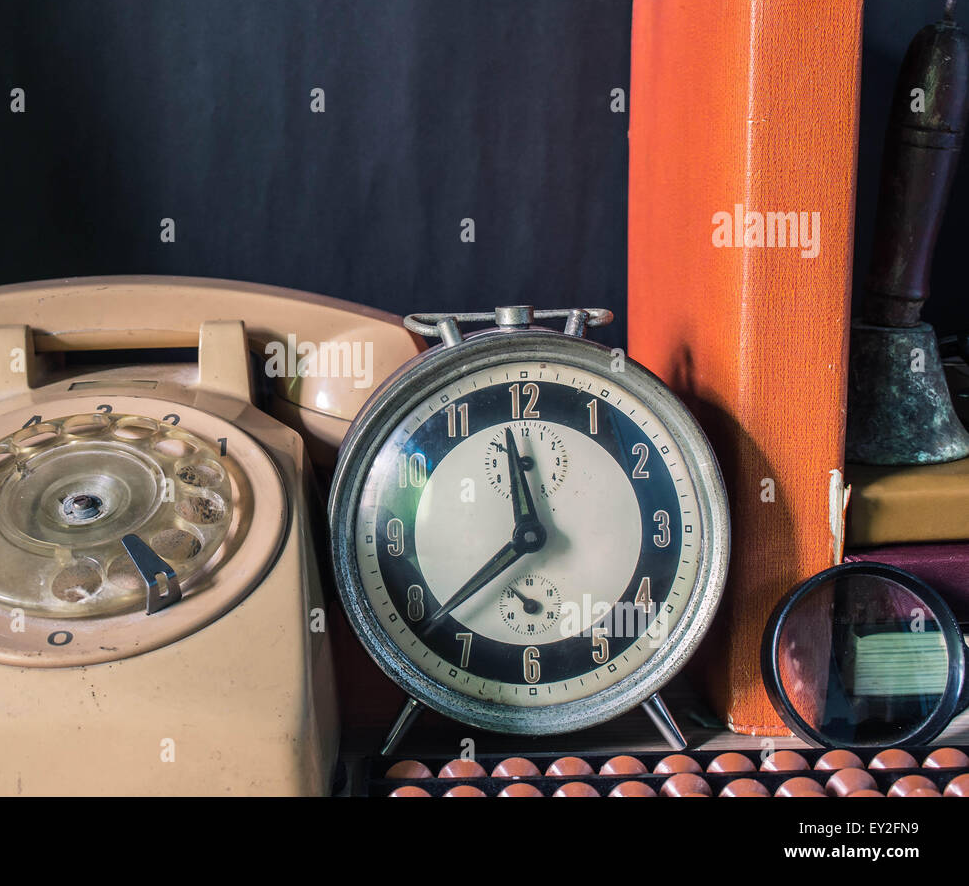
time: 11:38
